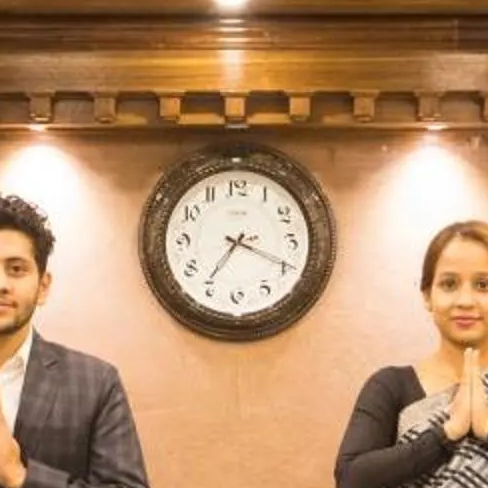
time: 7:18
